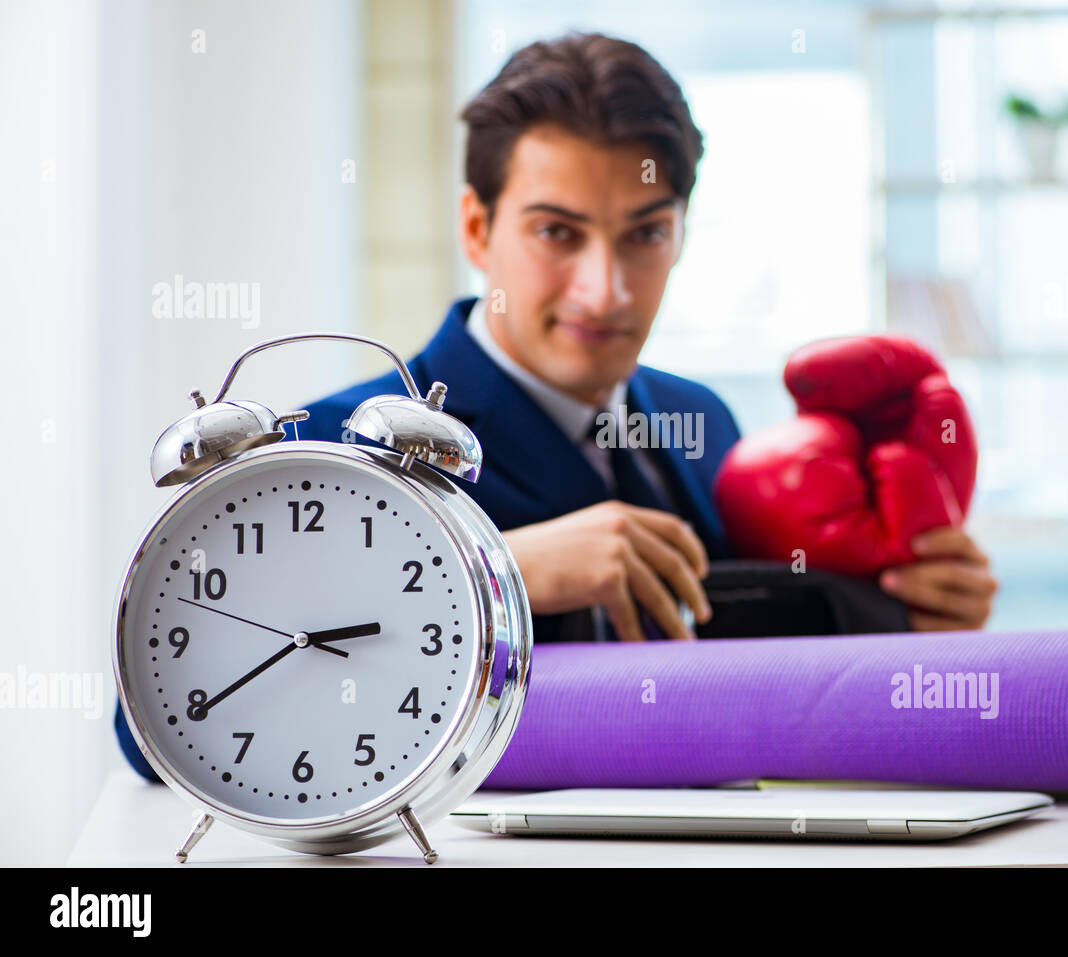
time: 2:39
